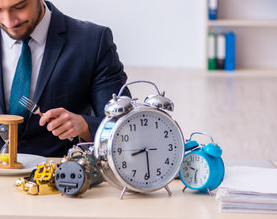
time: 8:29
